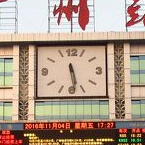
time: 5:28
